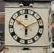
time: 5:50
